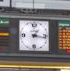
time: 1:16
